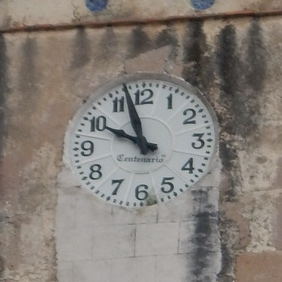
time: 9:57
